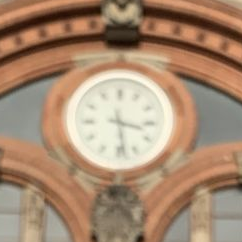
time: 3:28
